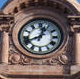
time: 12:41
